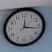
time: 12:16
